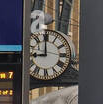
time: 8:59
